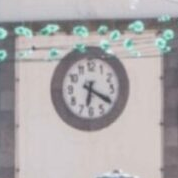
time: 6:20
